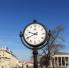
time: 9:41
